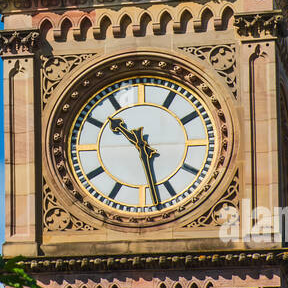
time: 10:28
